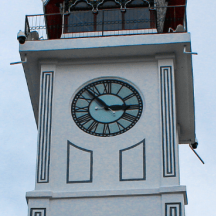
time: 2:53
